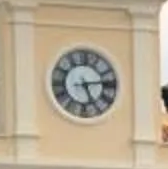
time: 5:13
